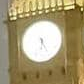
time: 6:25
